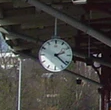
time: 2:21
